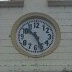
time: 10:26
